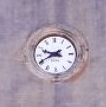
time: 9:40
